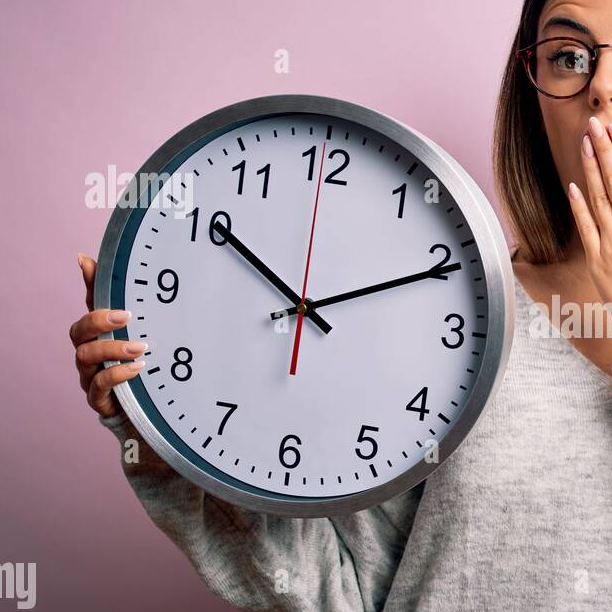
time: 10:10
